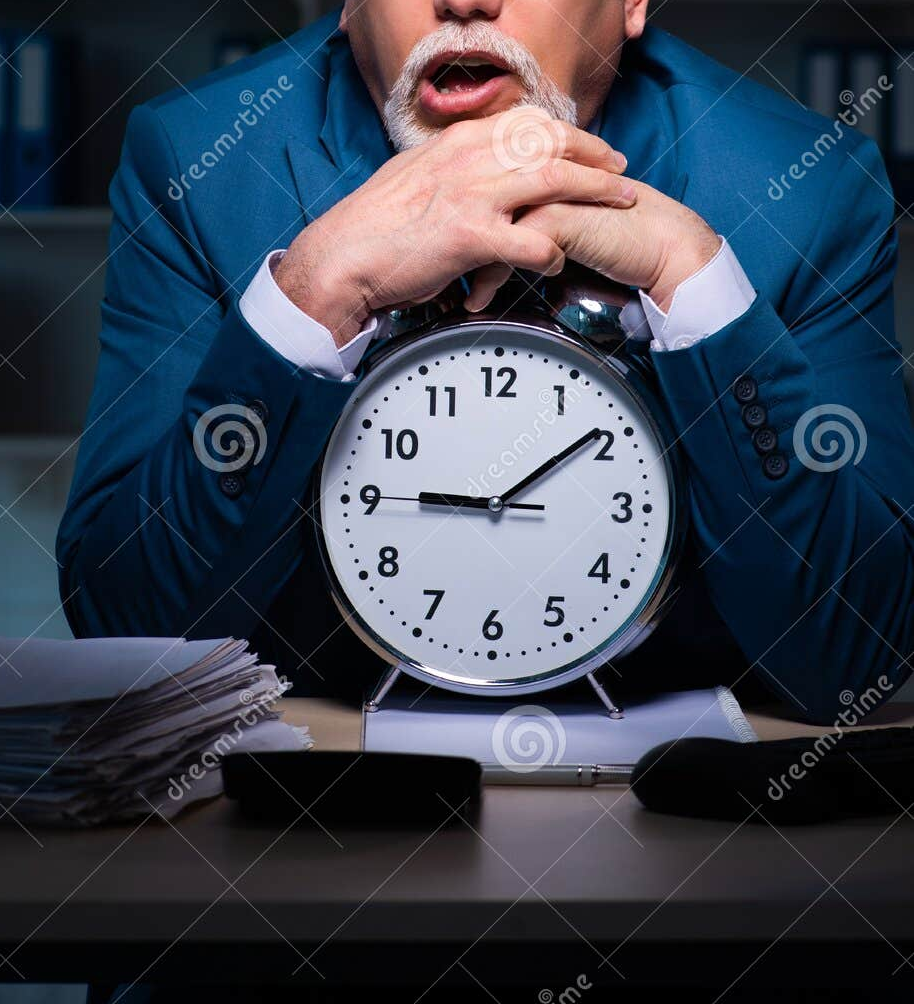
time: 9:09
